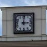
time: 3:00
